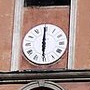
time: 5:59
